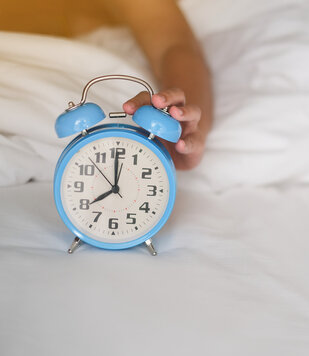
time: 7:59
